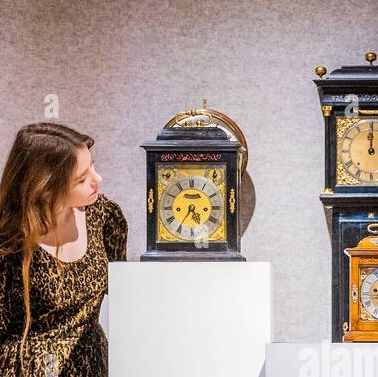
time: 4:35
